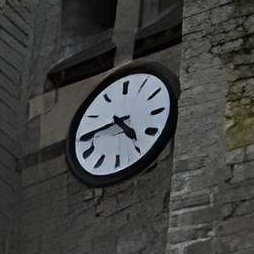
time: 4:44
